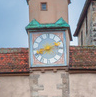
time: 8:11
